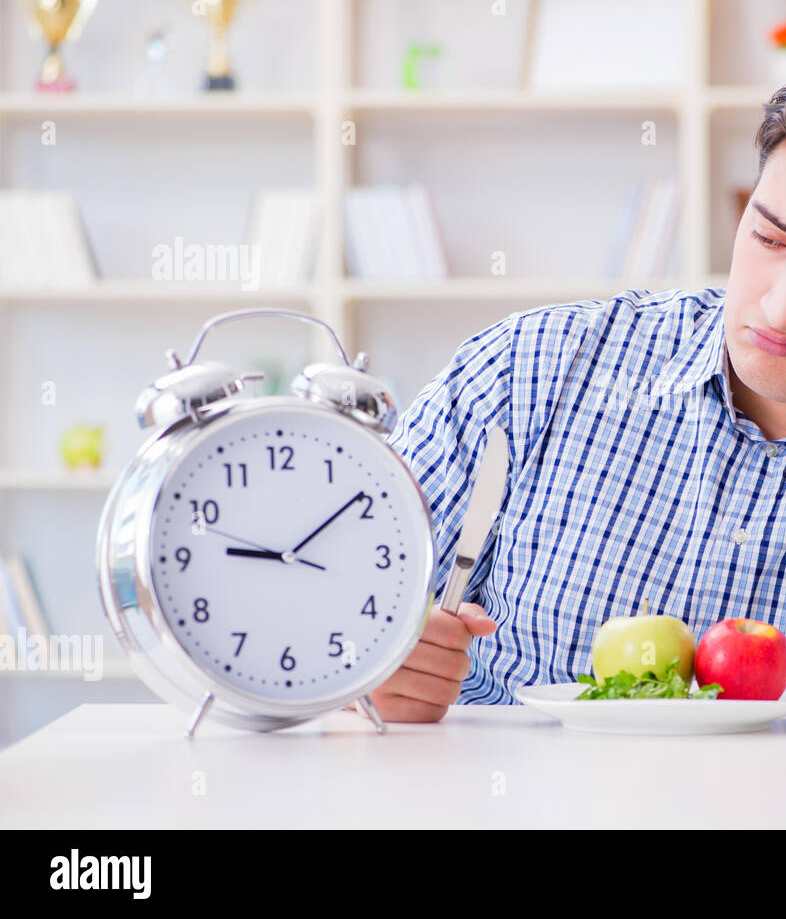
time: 9:09
